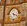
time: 5:18
